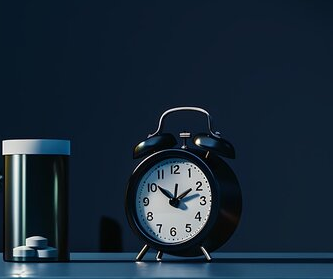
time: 1:51
